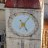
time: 5:06
